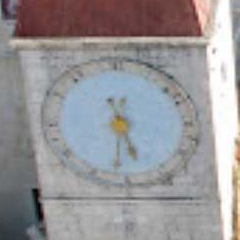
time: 5:31
